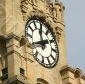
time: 11:40
